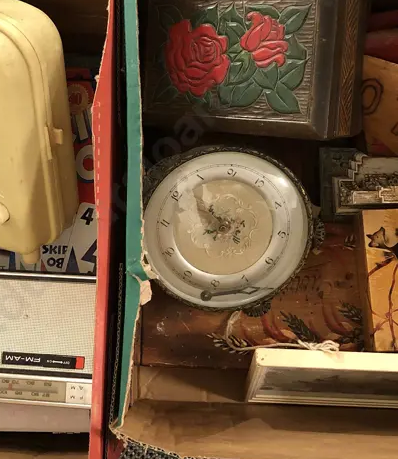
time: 8:53
